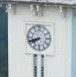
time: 7:41
